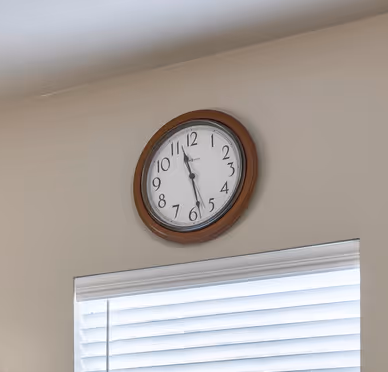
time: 11:28
